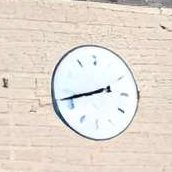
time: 8:42
